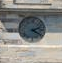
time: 2:21
